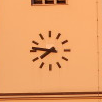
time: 7:46
